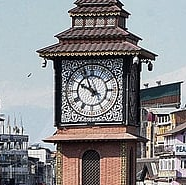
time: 9:56
